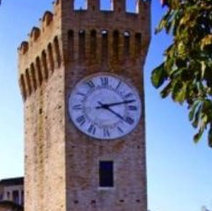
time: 4:12
